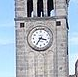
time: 3:35
